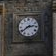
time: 2:39
